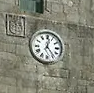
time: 12:23
